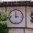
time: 2:58
